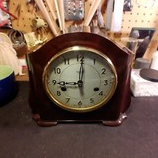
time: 9:01
